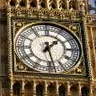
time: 1:28
